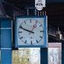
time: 12:49
